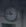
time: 10:45
